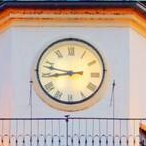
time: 8:47
